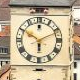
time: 5:50
